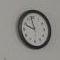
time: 9:57
